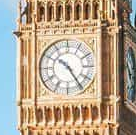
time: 10:24
